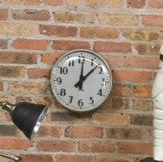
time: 12:07
